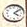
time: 4:08
